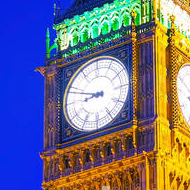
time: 8:48
